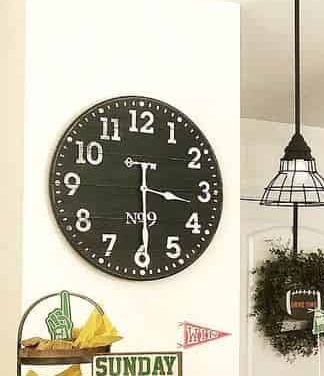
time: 3:29
